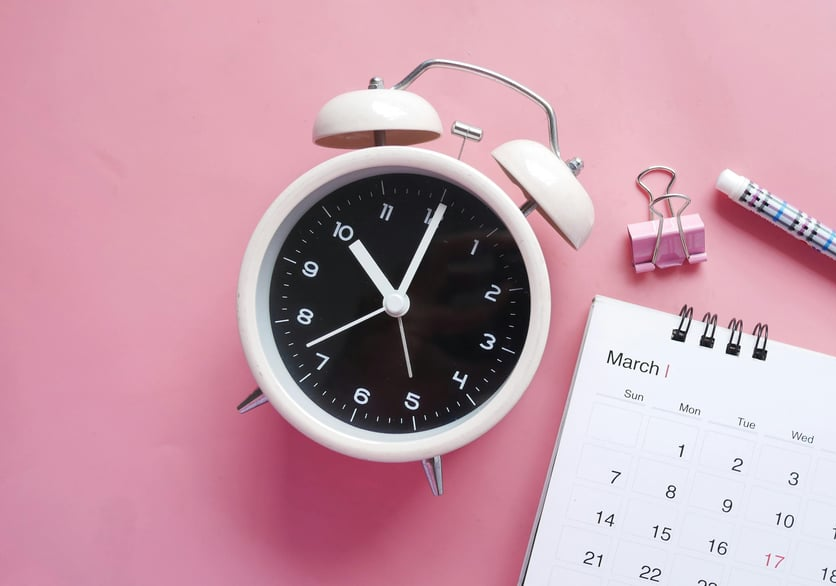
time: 11:05
